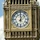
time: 12:07
